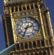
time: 2:34
